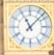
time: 11:07
